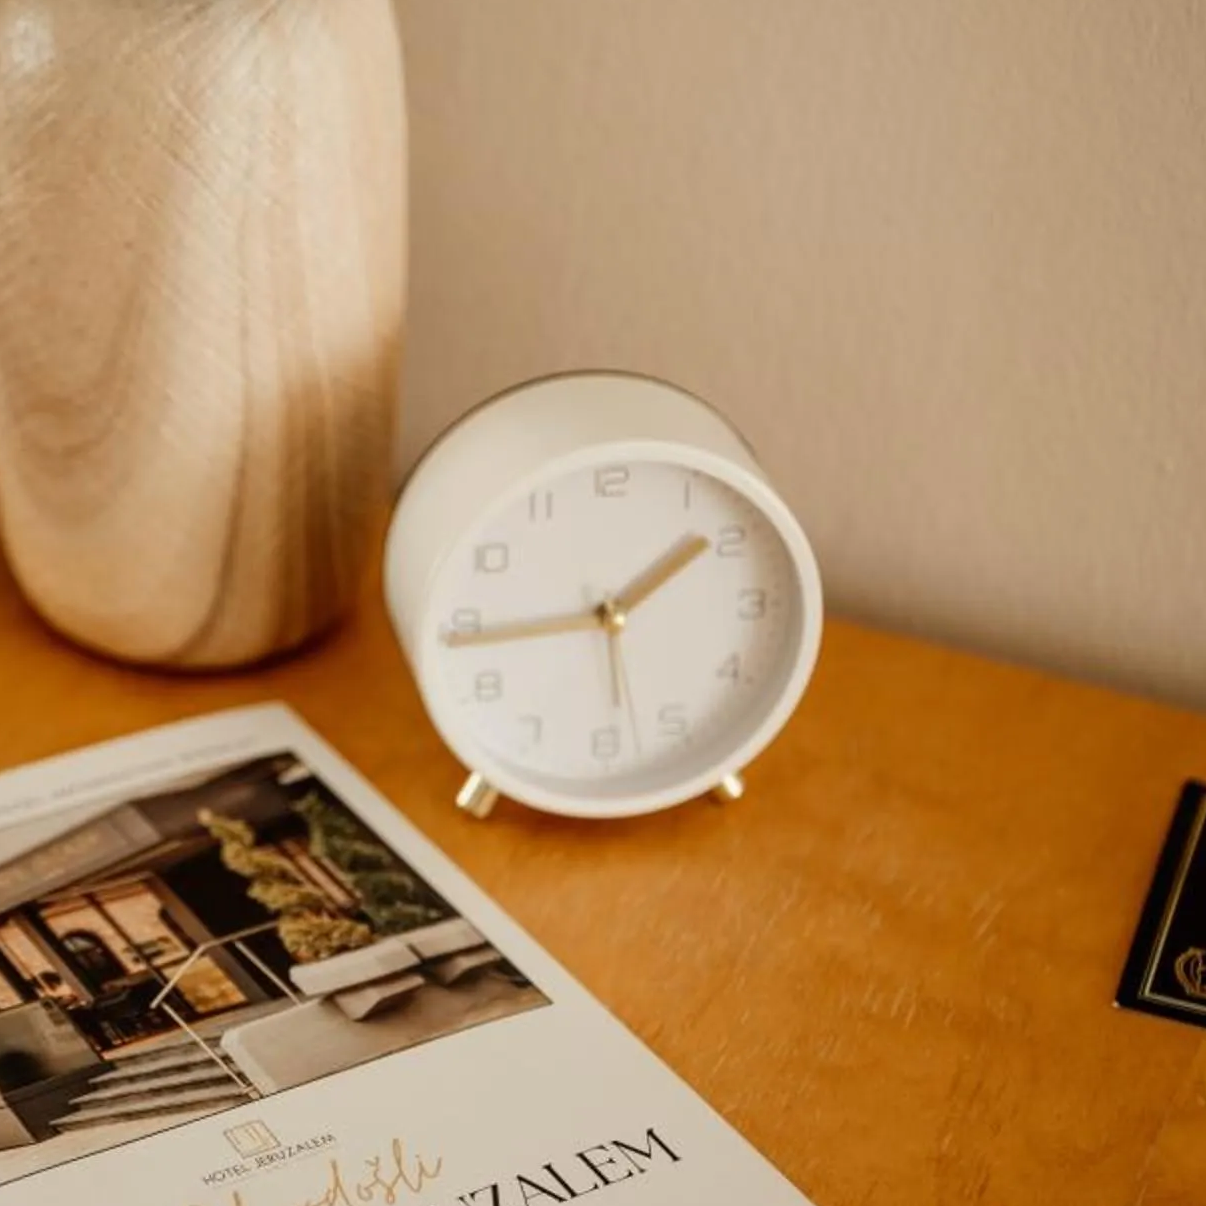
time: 1:43
